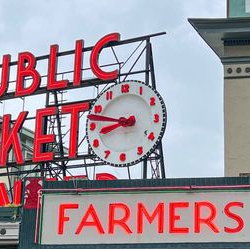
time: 8:47
